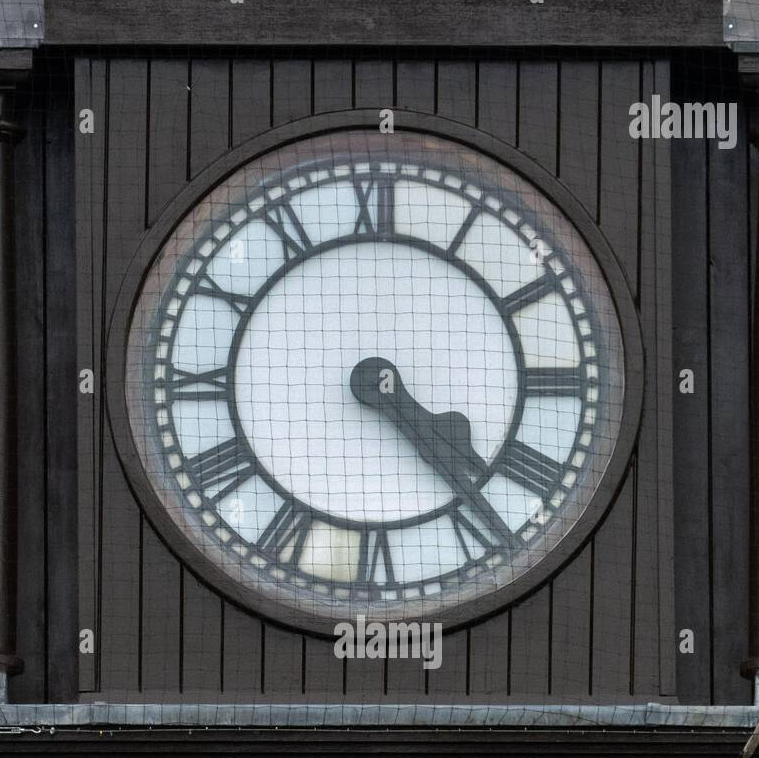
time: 4:23
